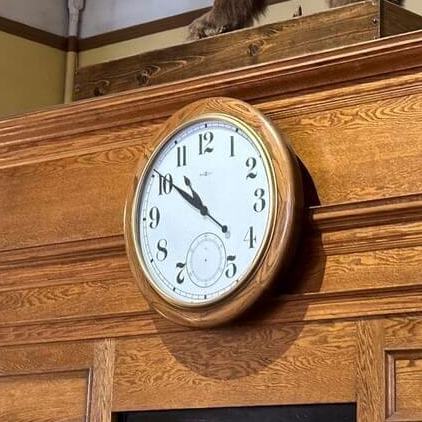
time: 10:50
